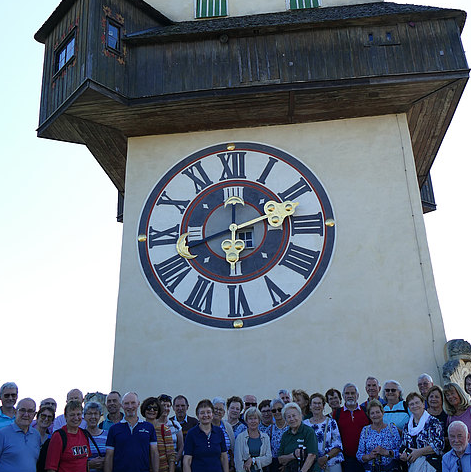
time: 6:11
